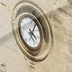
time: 4:04
